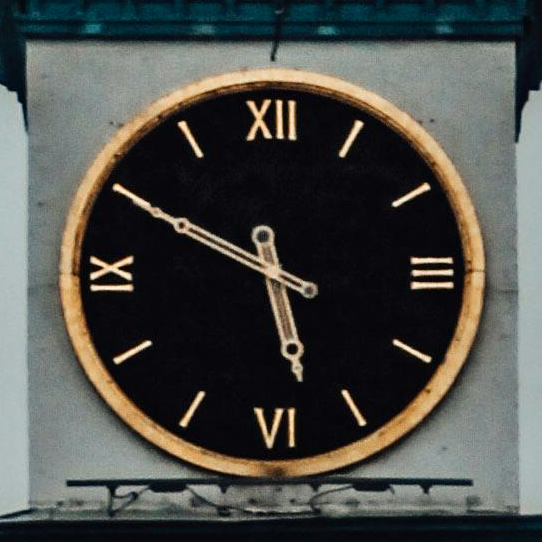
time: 5:49
